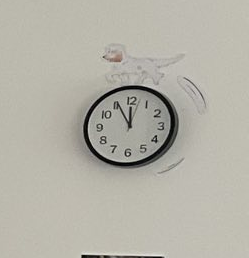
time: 11:55
